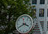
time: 3:40
